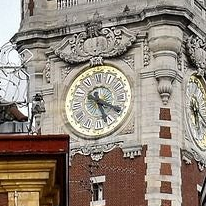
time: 5:19
